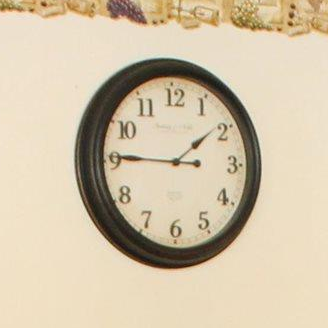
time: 1:45
